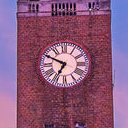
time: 6:49
